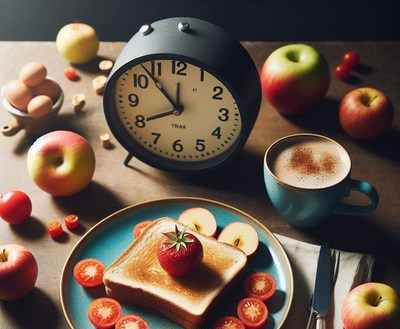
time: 7:52
